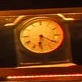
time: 6:20
